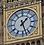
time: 1:27
